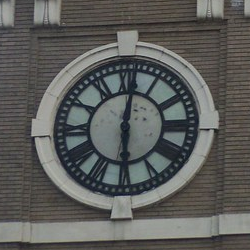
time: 6:00
